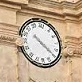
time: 10:20
